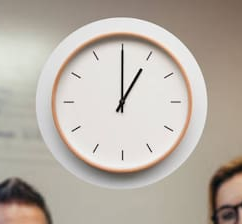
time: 1:00
